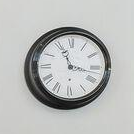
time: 11:17
